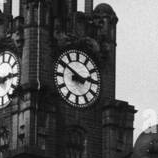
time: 2:50
